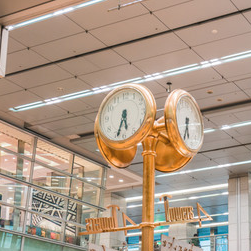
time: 5:33
